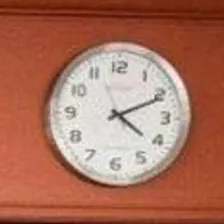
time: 4:10
